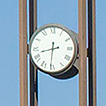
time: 8:30
